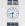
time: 8:31
